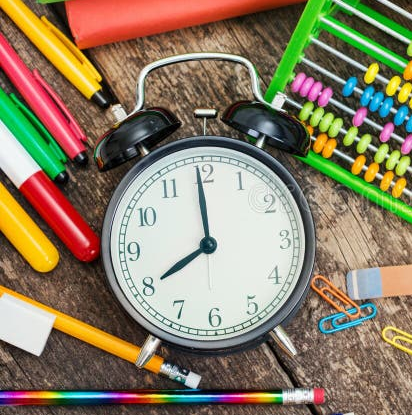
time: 7:59
